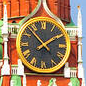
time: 1:52
